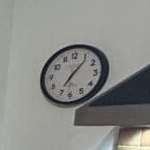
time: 7:06
